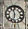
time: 11:32
